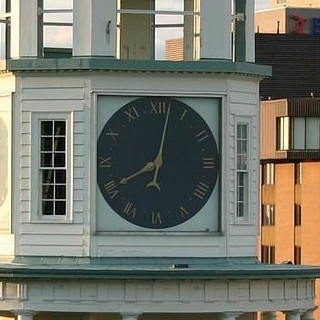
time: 8:02
